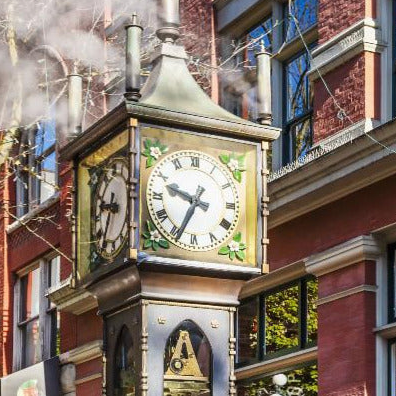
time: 9:34
